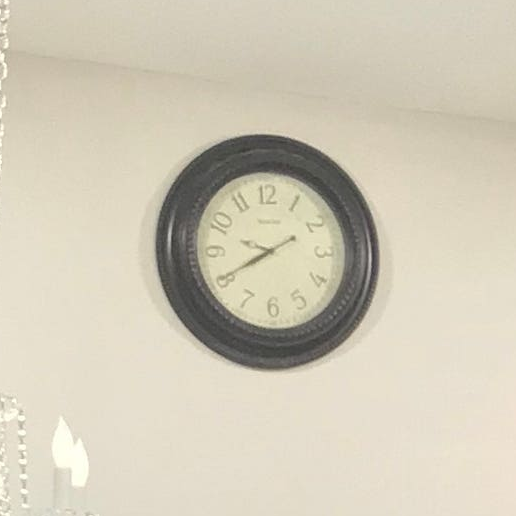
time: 9:40
